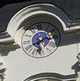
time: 5:40
